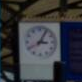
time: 3:04
